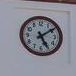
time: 5:09
